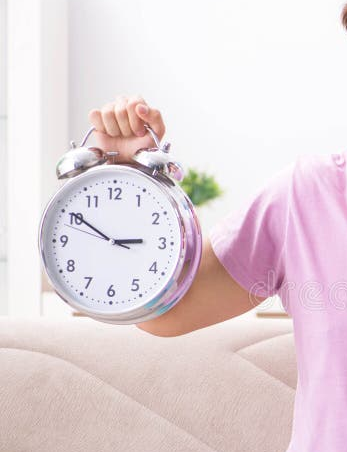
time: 2:50
